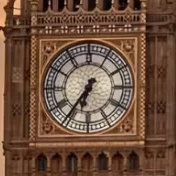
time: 6:36
